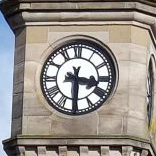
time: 3:29
